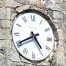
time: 4:40
